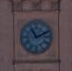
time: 11:10
